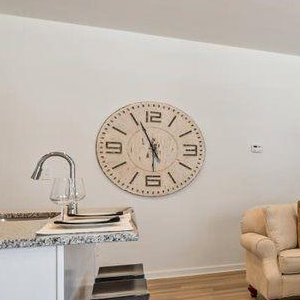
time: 5:55
